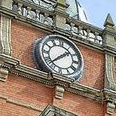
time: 1:37
